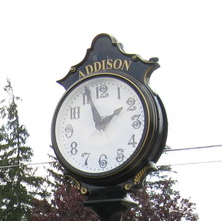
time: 1:56
